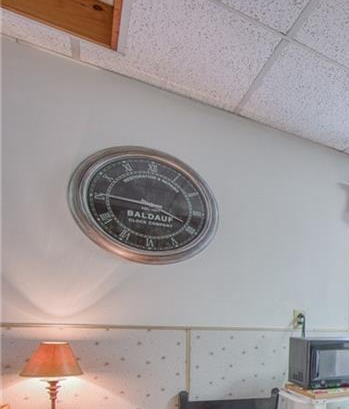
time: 3:45
